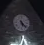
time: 5:22
